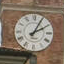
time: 2:04
